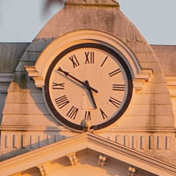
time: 4:49
